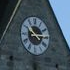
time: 10:14
